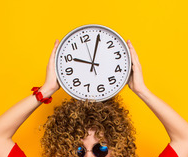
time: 10:04
